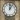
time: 12:05
